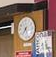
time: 7:27
